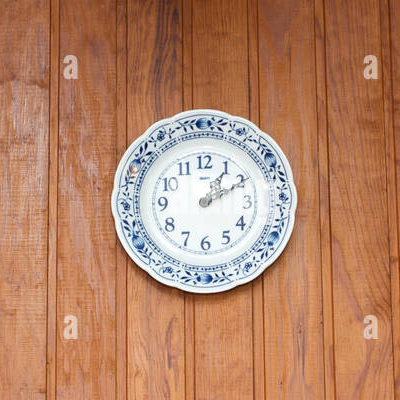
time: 1:10
